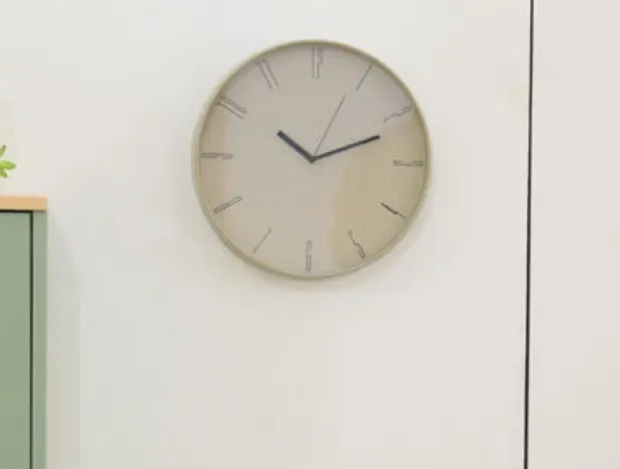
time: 10:11
